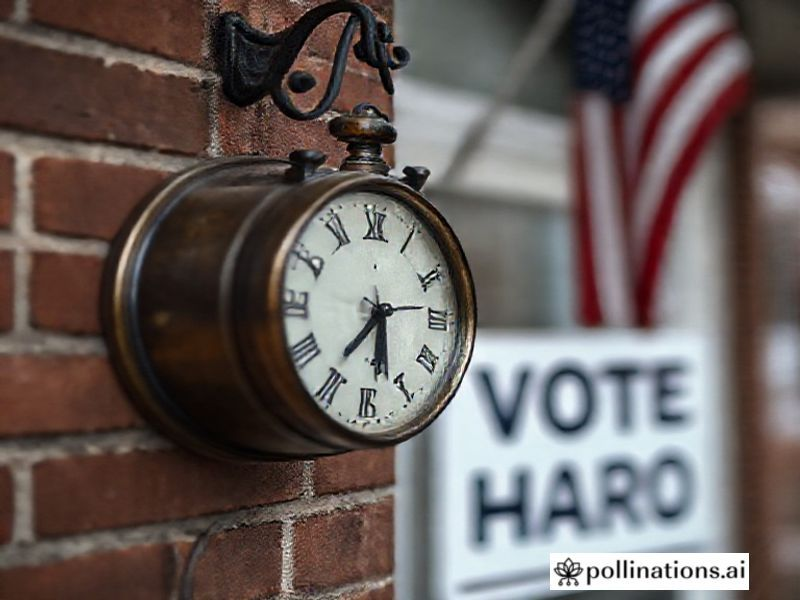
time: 5:35
